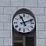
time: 11:11
